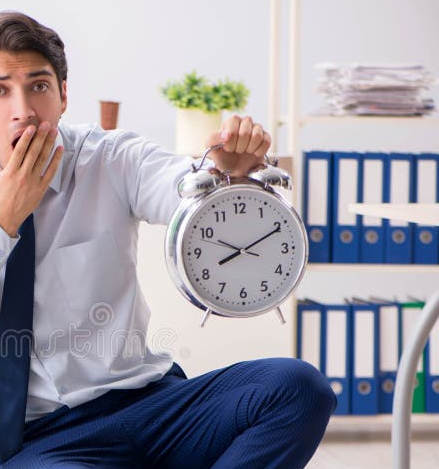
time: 8:10
